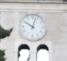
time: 10:02
